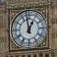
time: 12:58
